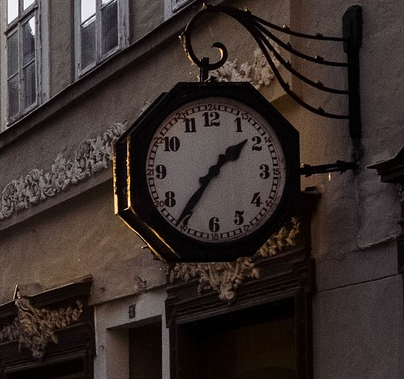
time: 1:36
